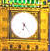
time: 6:23
